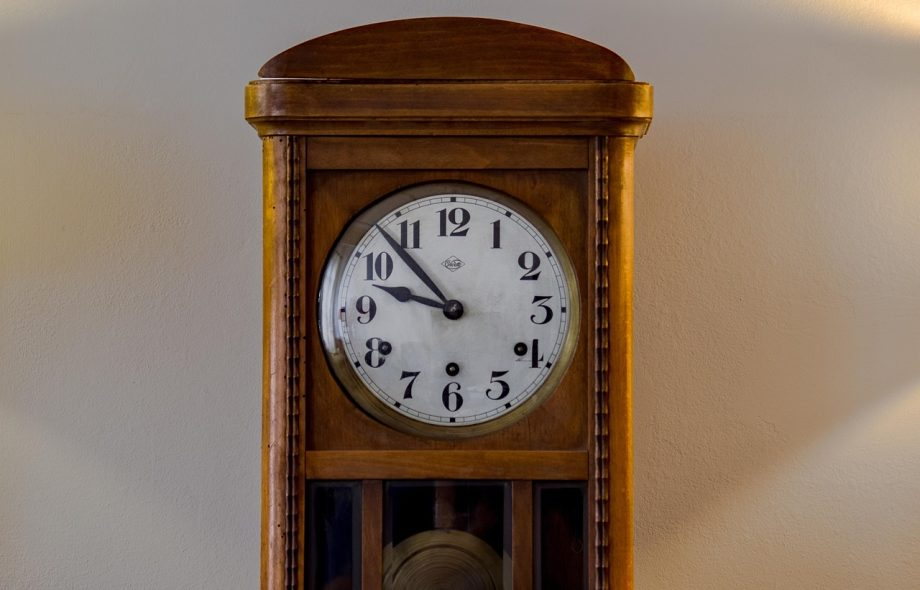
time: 9:53
